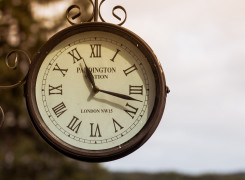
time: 11:17
